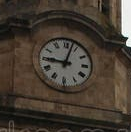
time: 9:02
